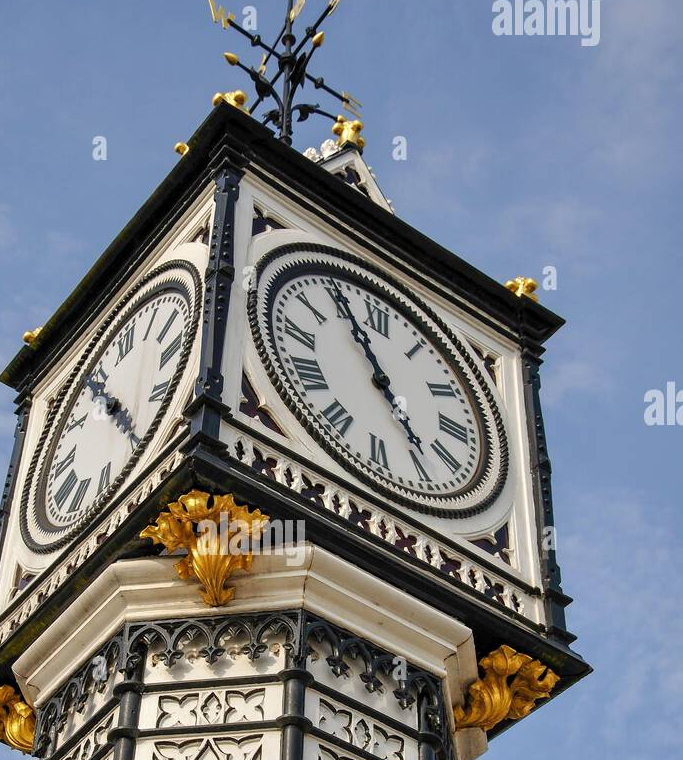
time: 4:55
